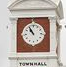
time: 10:55
